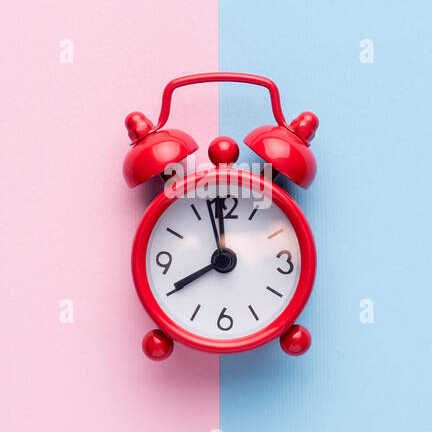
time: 7:59
